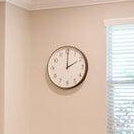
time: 2:00
